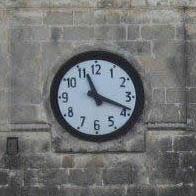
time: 11:18
